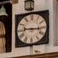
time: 9:15
